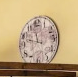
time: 11:47
